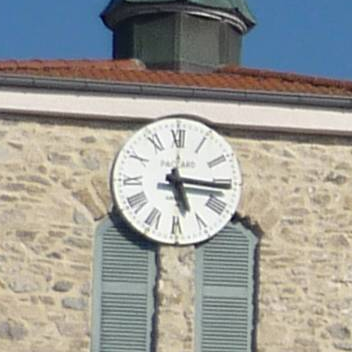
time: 5:15
